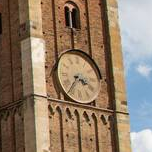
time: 3:36
